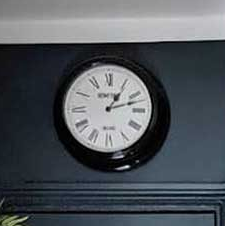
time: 1:12
